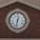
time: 12:32
